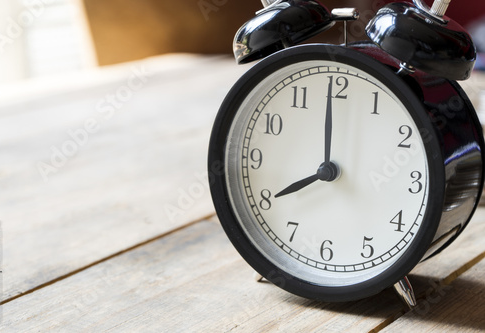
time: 7:59
